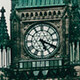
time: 5:18
